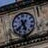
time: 5:38
